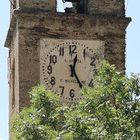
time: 12:24
